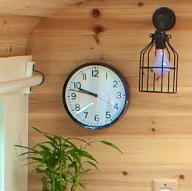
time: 9:47
